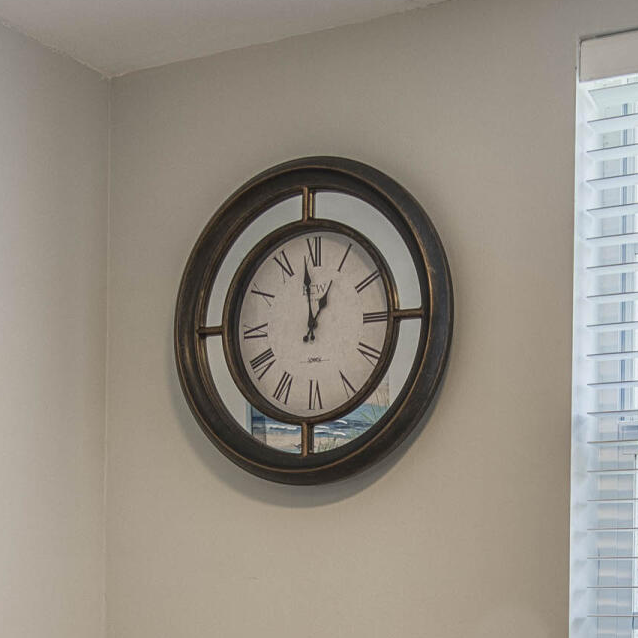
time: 12:58
